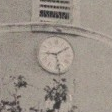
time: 9:09
